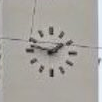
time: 1:47
